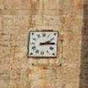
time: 2:14
